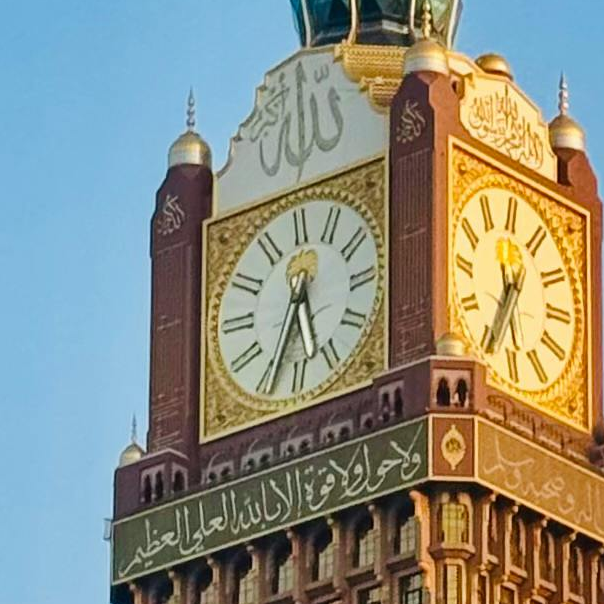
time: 5:33
